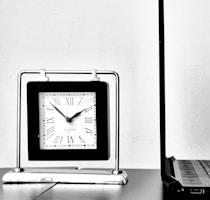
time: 1:52
